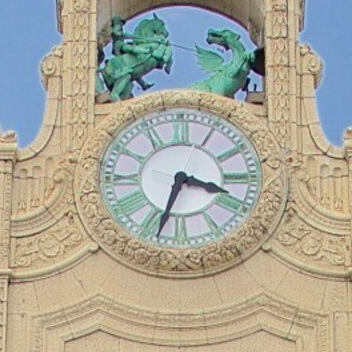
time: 3:33
